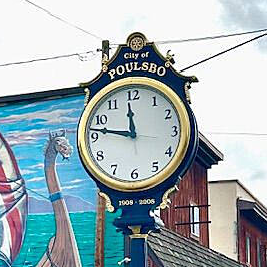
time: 11:46
